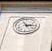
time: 2:56
